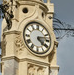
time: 4:12
